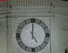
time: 5:00
